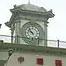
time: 9:53
